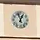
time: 12:57
